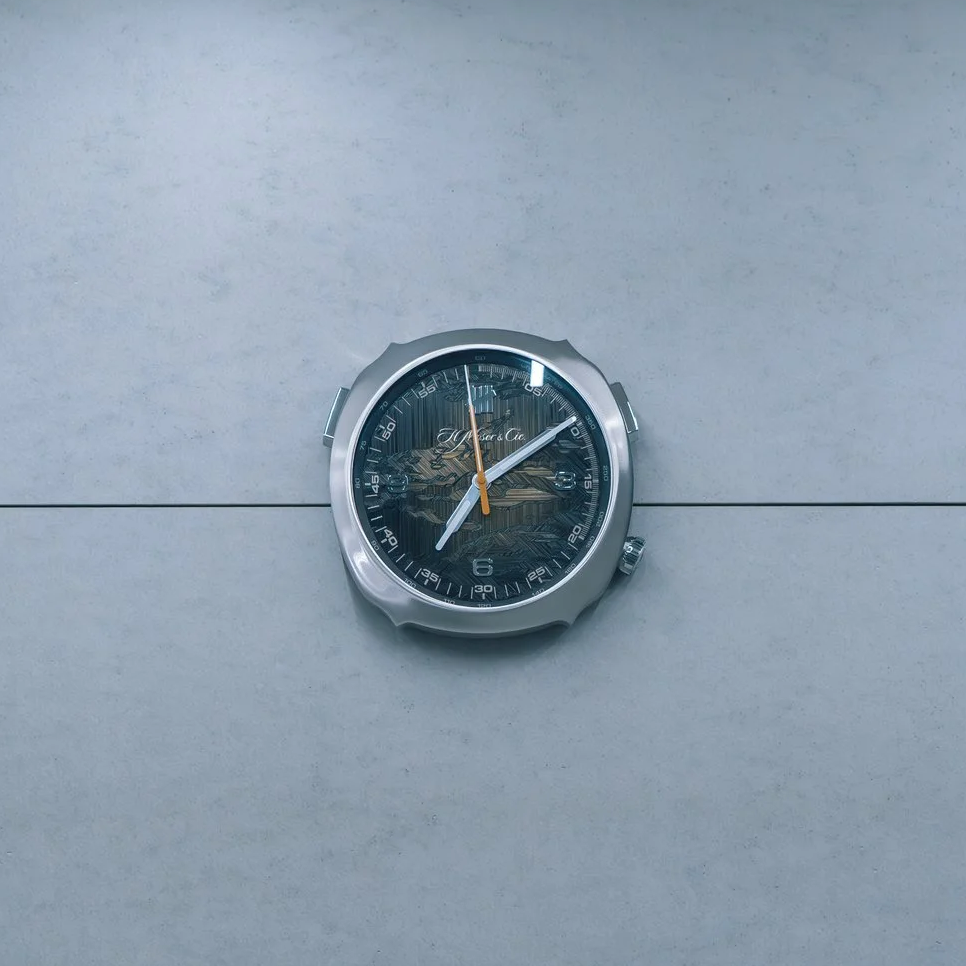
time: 7:09
